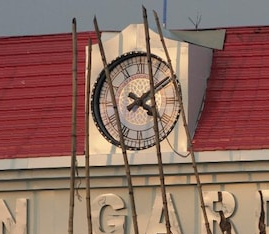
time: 4:09
